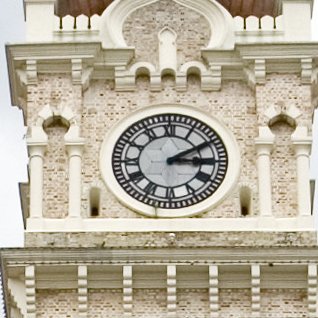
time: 3:10
